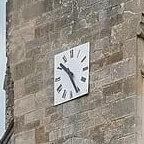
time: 10:26
